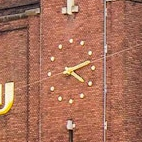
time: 4:12
